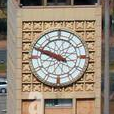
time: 9:48
